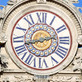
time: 2:42
